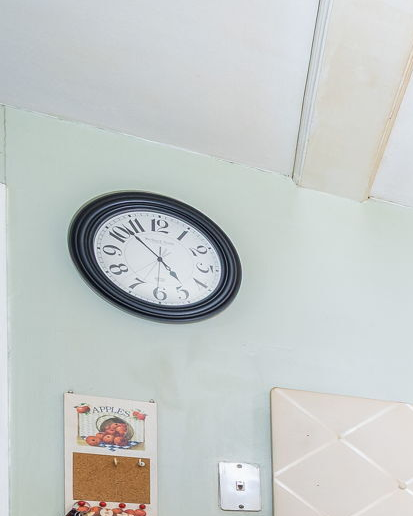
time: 4:52
